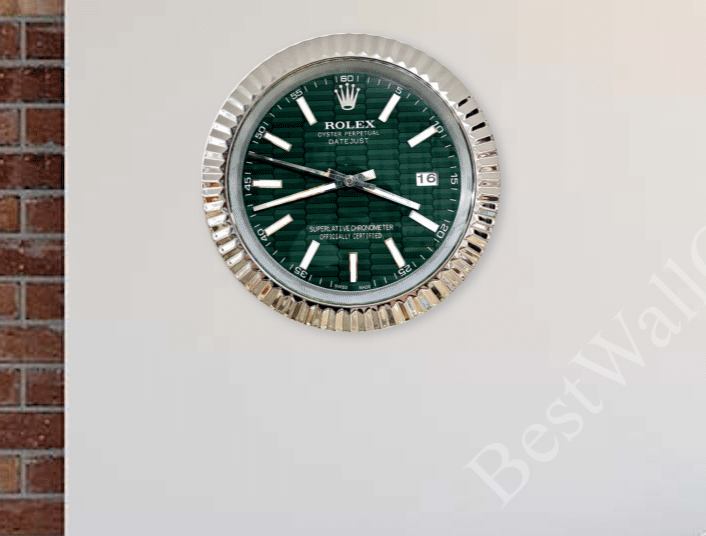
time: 3:42
